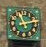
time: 11:12
